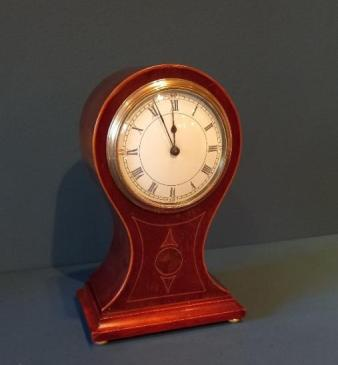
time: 11:55
